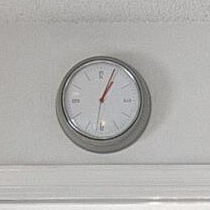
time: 1:03
